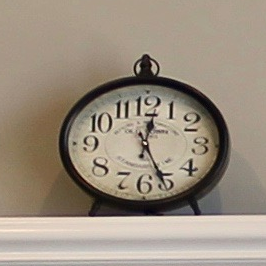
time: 12:26
